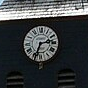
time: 2:34
